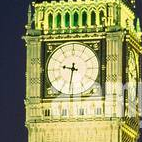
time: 9:31
